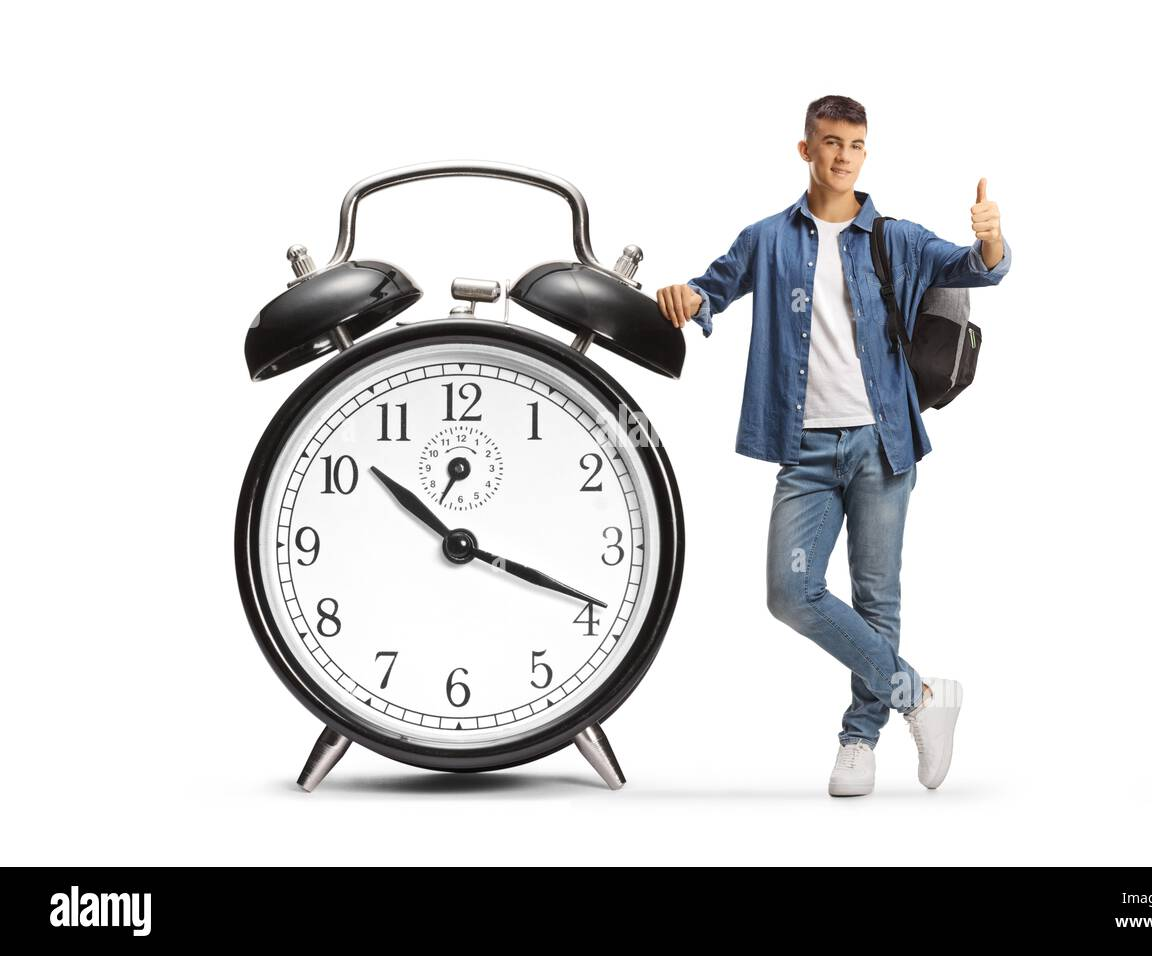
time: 10:18
